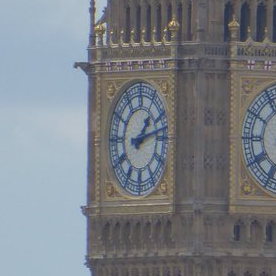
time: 1:12
